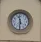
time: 11:30
